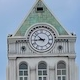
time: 8:52
